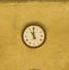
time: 10:59
